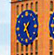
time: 1:26
